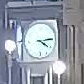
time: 4:14
